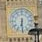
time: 6:29
